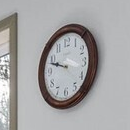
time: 9:47
